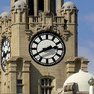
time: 2:40
